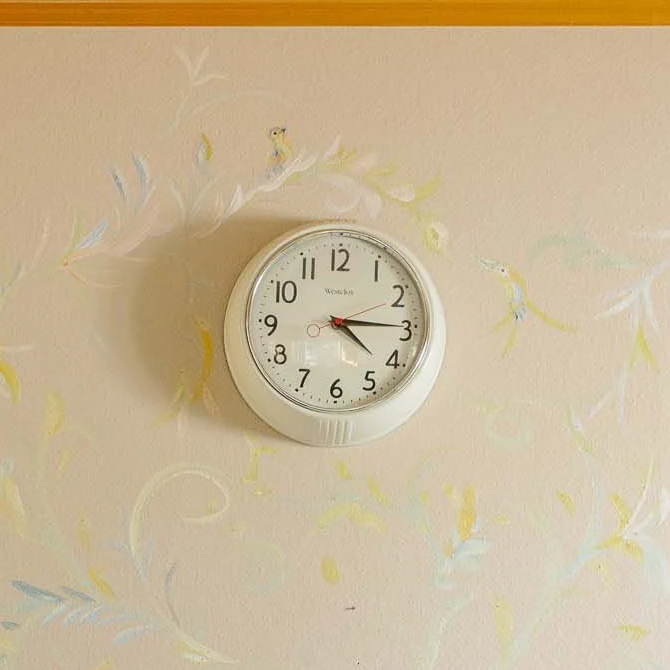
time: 4:14
